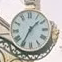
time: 1:35
